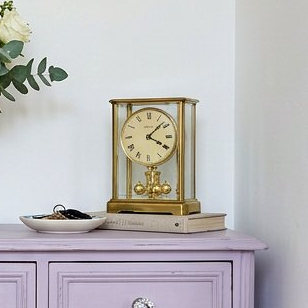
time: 4:08
